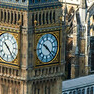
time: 10:22
